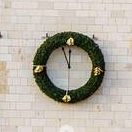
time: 11:56
